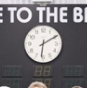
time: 6:10
